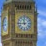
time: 11:44
